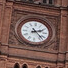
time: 2:22
